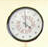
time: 3:58
